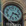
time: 3:34
